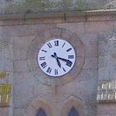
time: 5:18
